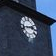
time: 2:42
